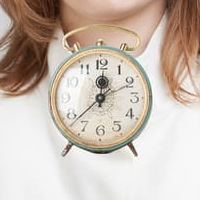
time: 12:10
